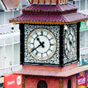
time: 10:39
